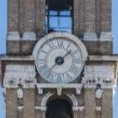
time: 1:37
